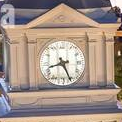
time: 8:26
